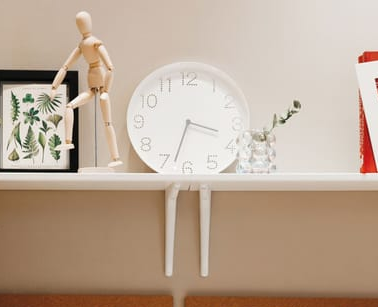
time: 3:32
